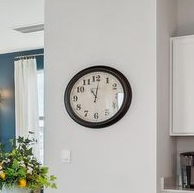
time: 11:01
